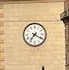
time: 7:19
